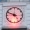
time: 4:49
